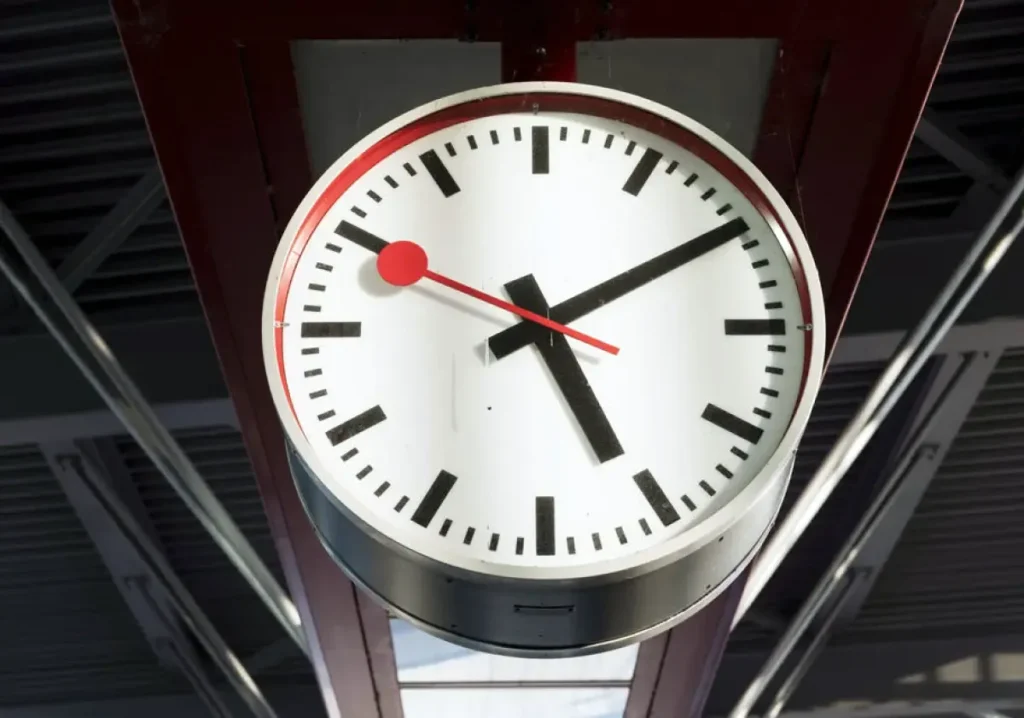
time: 5:10
